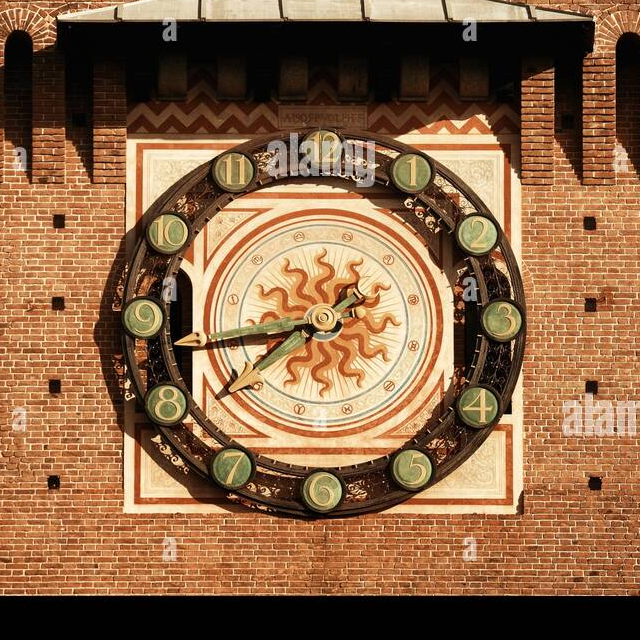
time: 7:42
